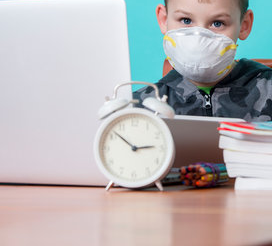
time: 2:52
